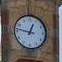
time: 12:46
